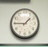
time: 1:45
